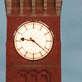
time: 9:21
